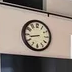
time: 8:42
